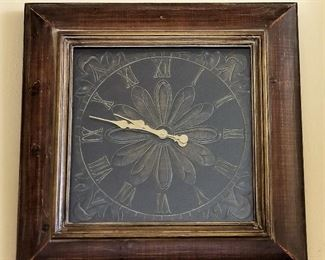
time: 9:47
